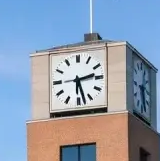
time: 2:27
